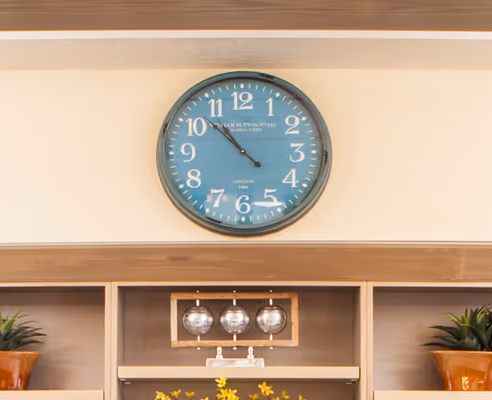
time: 10:52
